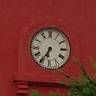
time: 6:35
